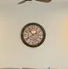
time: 10:40
